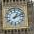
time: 1:11
